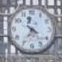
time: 4:35
